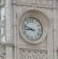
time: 8:48
